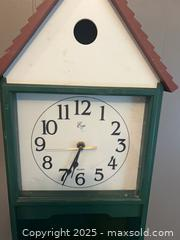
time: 6:34
